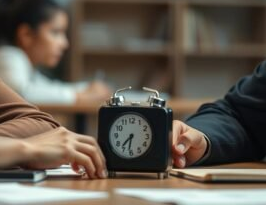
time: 7:32
